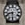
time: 8:30
